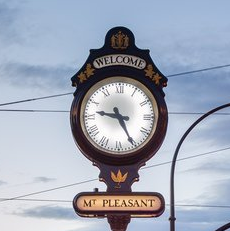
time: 9:25
